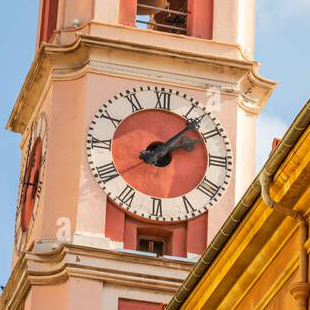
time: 2:07
